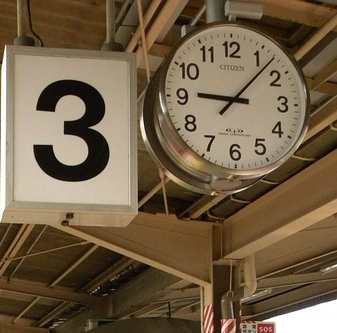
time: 9:07
